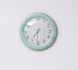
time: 7:30
